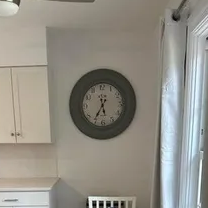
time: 5:35
